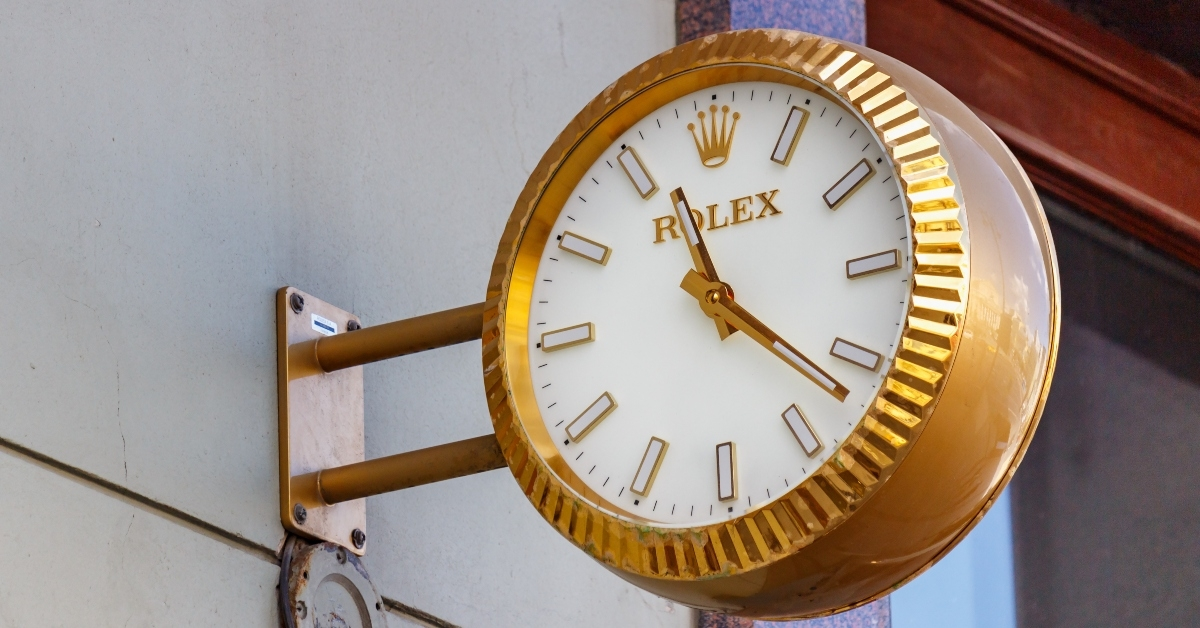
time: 11:21
